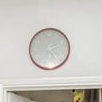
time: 2:24
